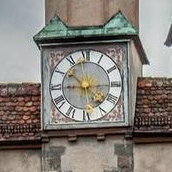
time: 9:14
